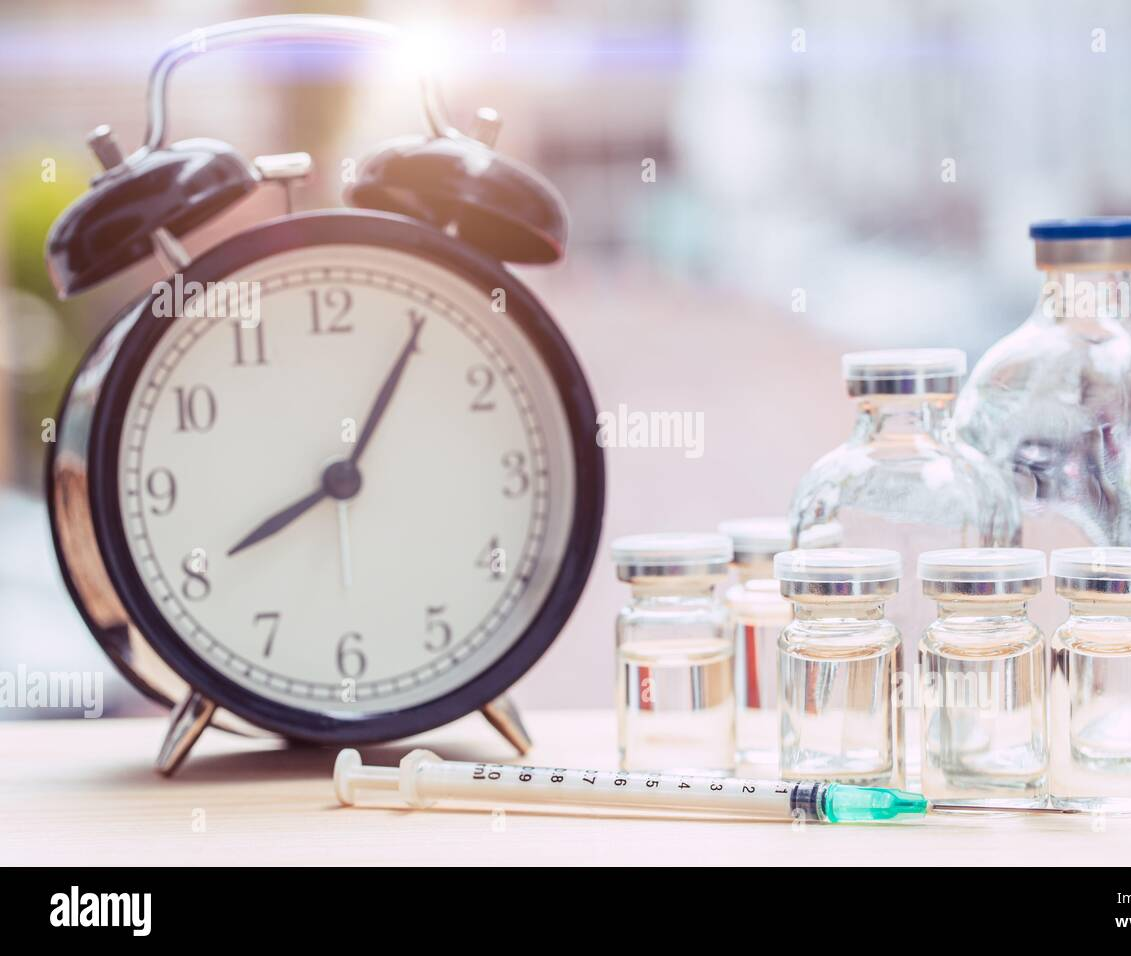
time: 8:05
